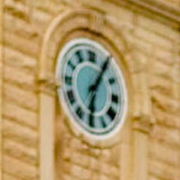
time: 6:05
